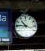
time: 10:45
